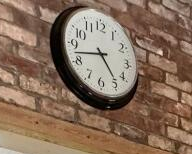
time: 4:42
